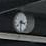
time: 3:31
